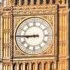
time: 8:45
